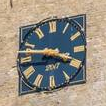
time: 3:47
